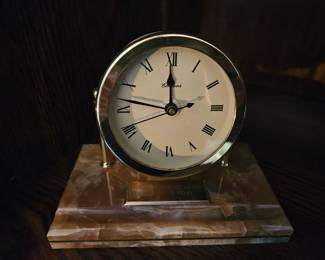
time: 11:46
